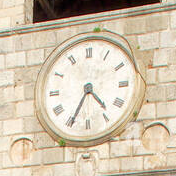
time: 4:34
